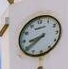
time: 8:39
